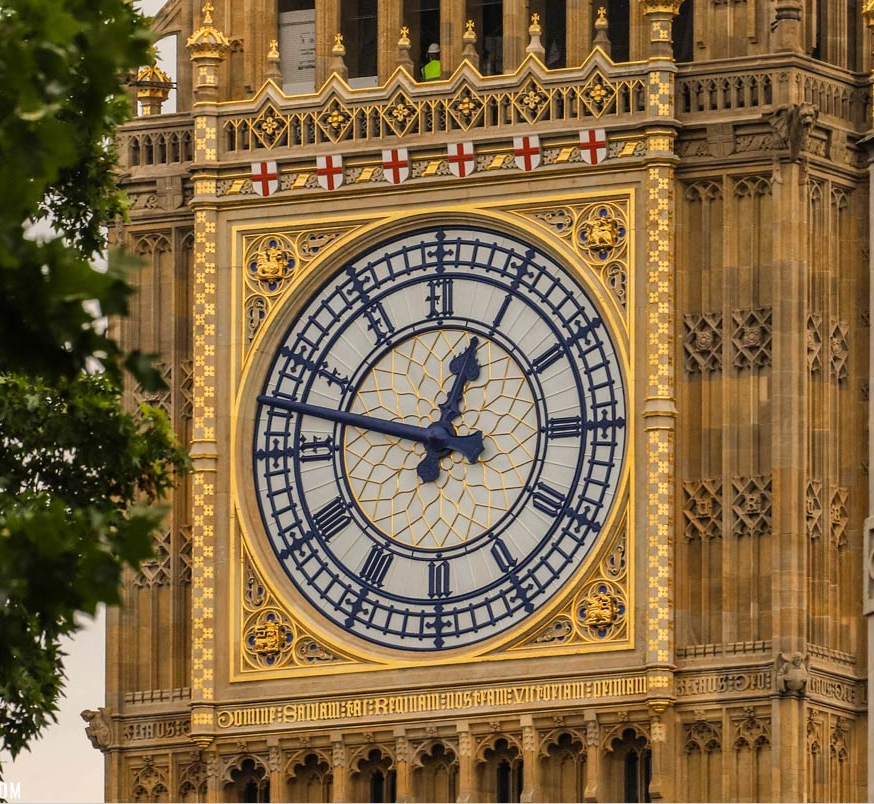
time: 12:47
